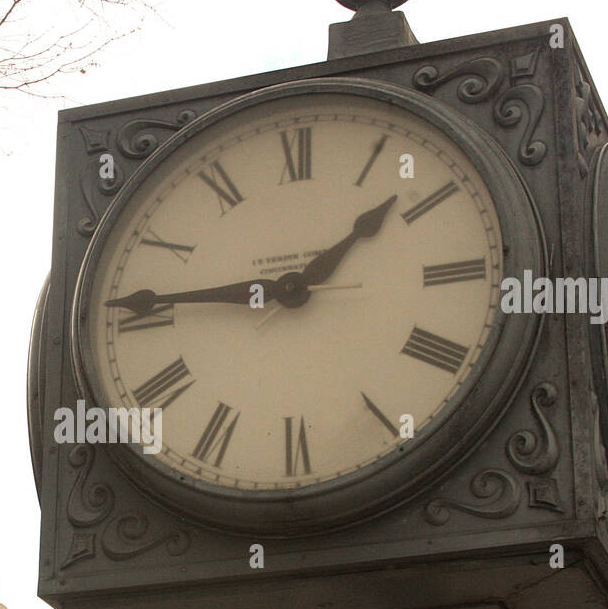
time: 1:45
